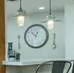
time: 12:52
